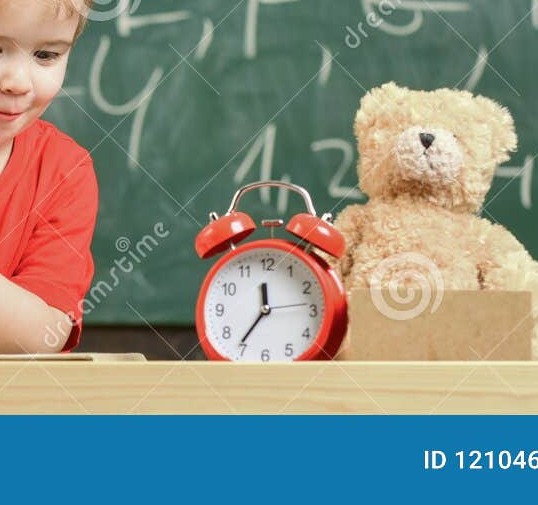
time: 11:36
